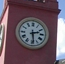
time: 2:28
